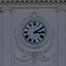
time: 3:10
